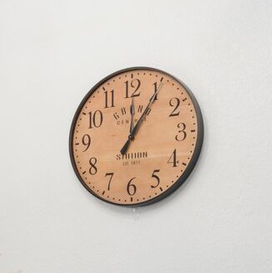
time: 12:05
